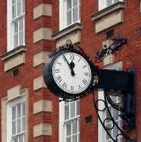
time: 11:55
